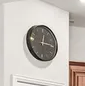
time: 12:14
